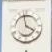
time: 3:58
